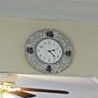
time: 2:23
